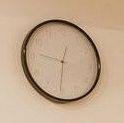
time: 12:30
